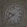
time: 9:40
